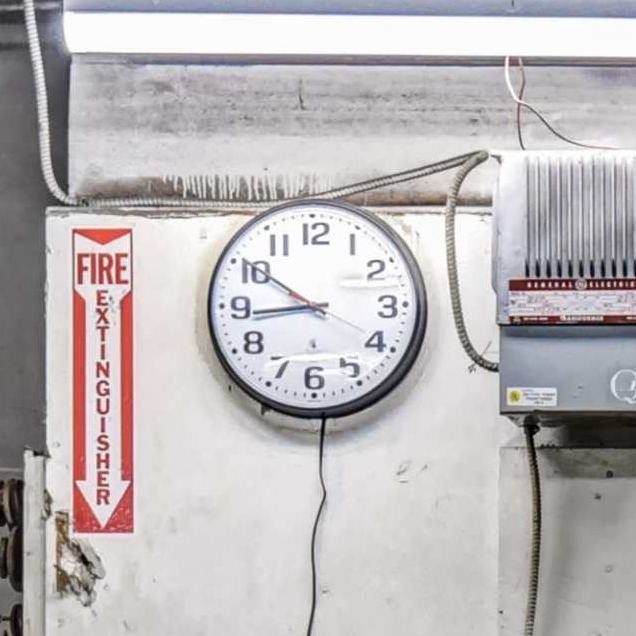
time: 8:50
